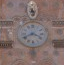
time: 3:40
